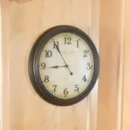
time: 8:54
